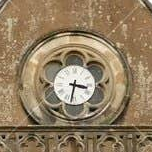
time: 3:32
